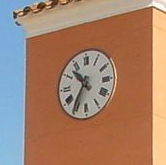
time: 10:35
